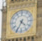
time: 4:34
